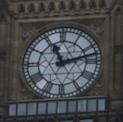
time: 11:12
